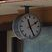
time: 11:25
